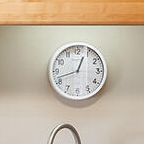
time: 12:42
